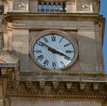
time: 3:51
